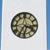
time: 3:35
